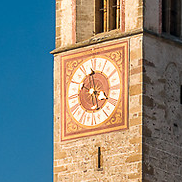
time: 5:18
